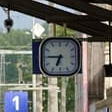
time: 6:45
